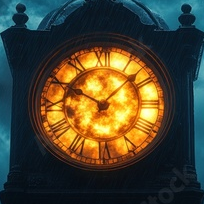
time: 10:07
